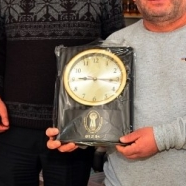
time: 9:16
